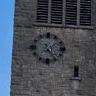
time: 1:24
